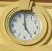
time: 4:59
